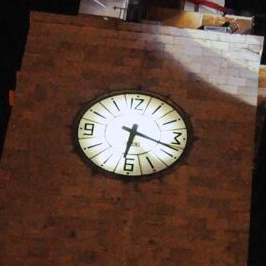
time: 6:18
